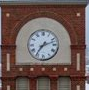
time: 7:12
